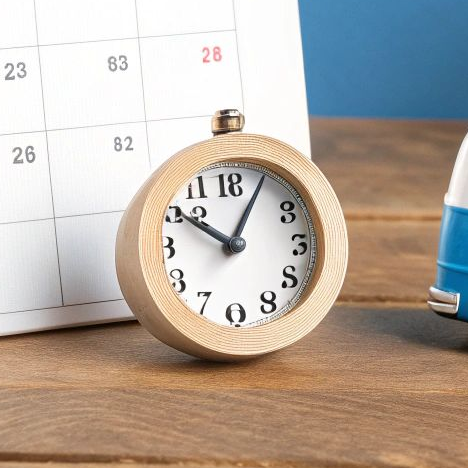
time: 10:04
